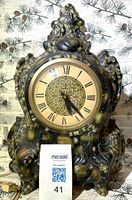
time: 5:22
